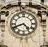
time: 4:41
